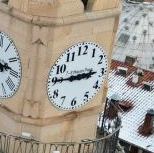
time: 2:45
